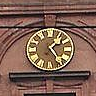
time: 1:23
